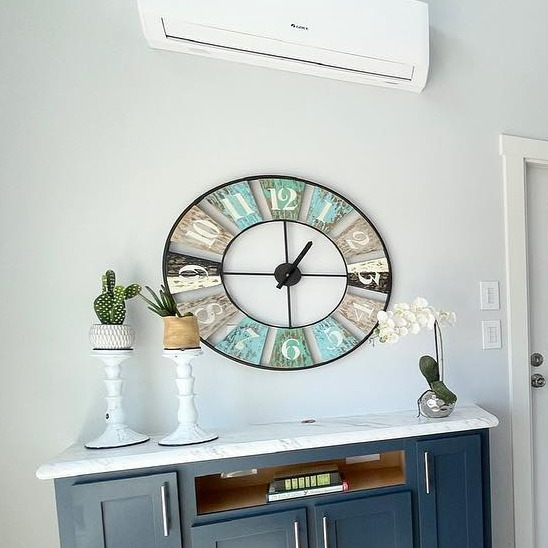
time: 1:16
